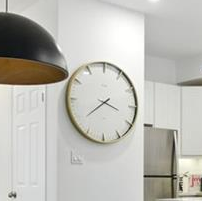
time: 3:39
